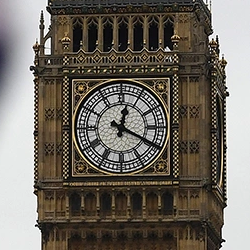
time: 12:19
